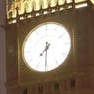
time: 7:30
